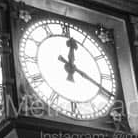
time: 12:19
